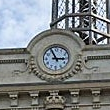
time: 2:56
